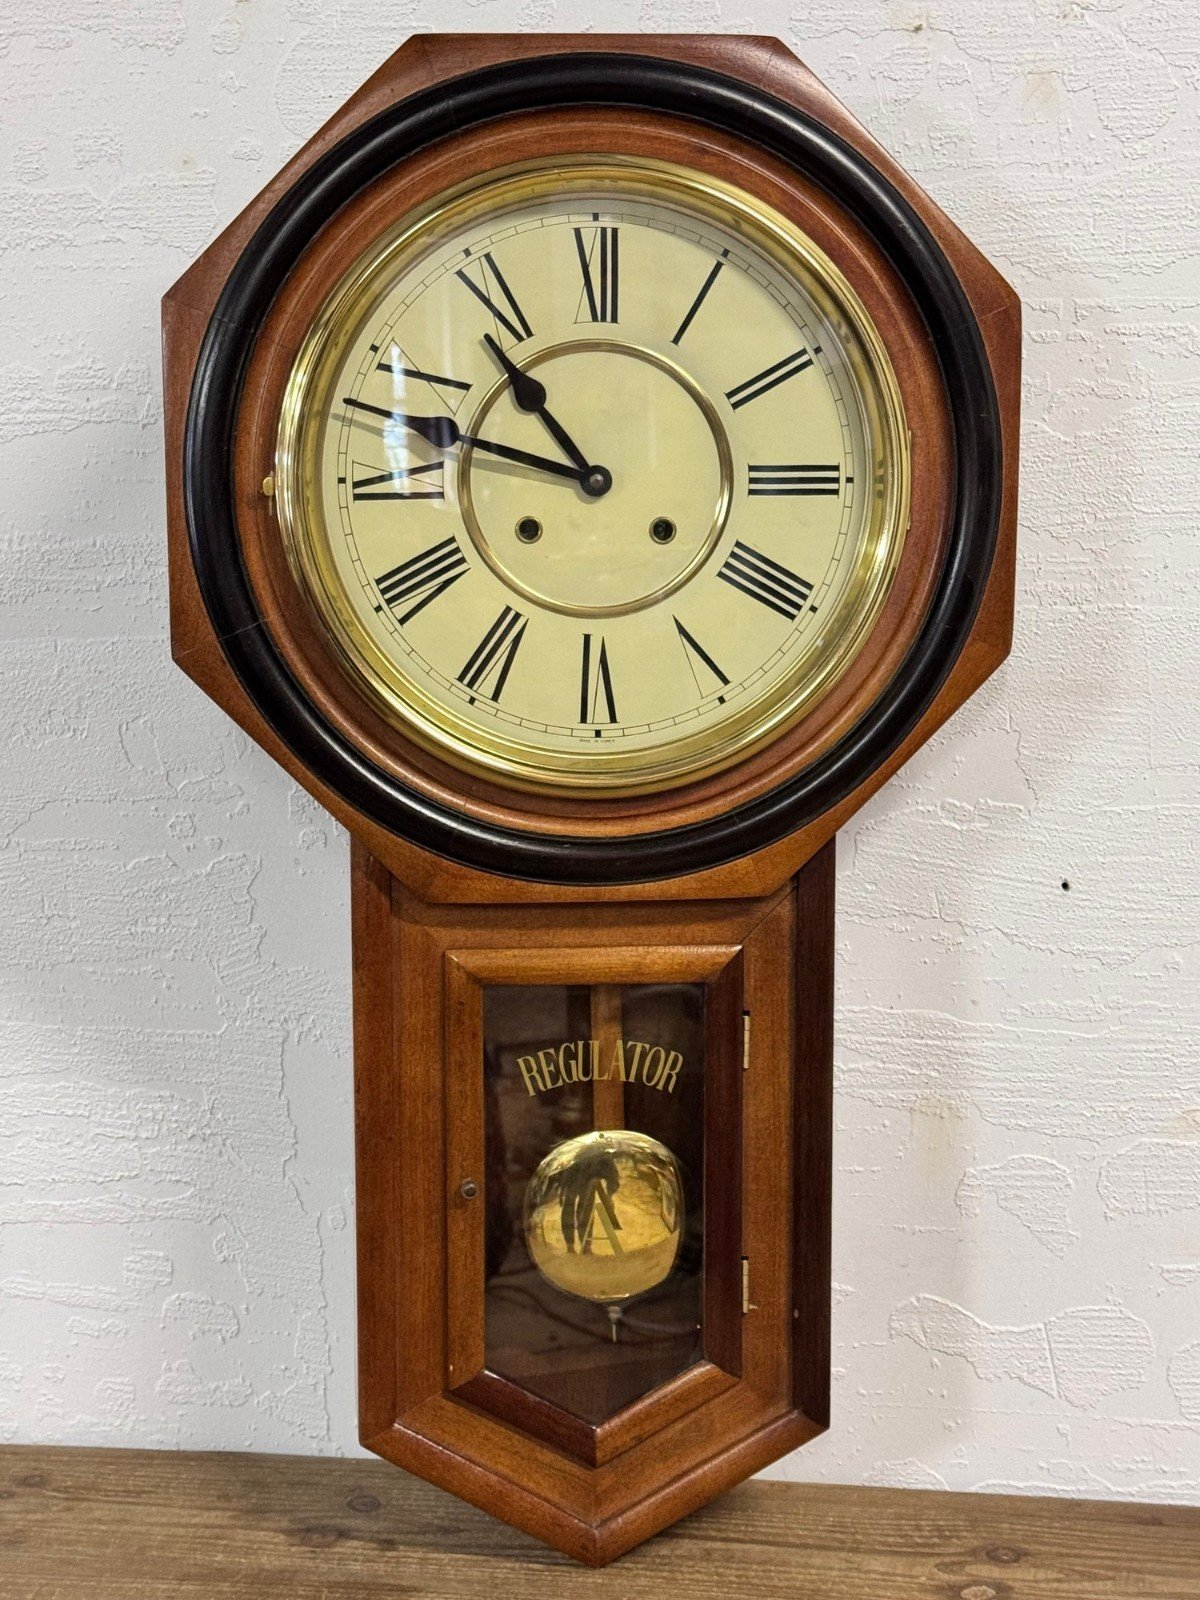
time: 10:47
